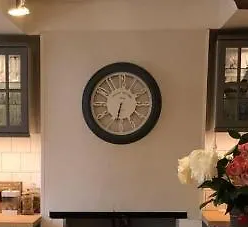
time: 6:32
